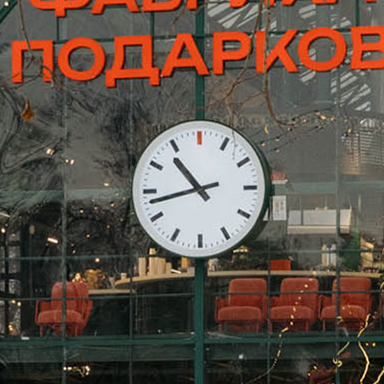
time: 10:42
